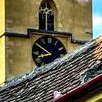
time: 8:50
